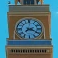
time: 2:18
